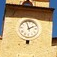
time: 1:57
